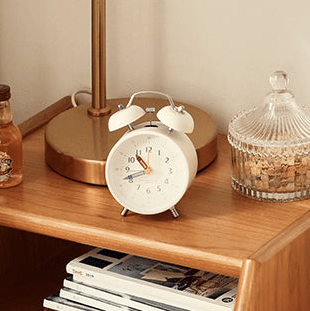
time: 10:41
